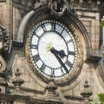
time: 3:23
